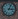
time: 3:04
